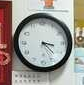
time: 3:22
